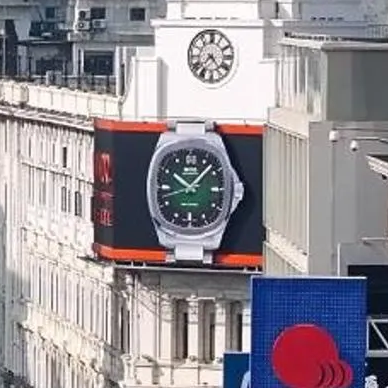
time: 10:07
